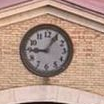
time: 9:05
